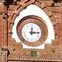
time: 12:14
